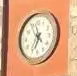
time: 4:34
